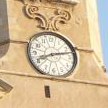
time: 8:12
